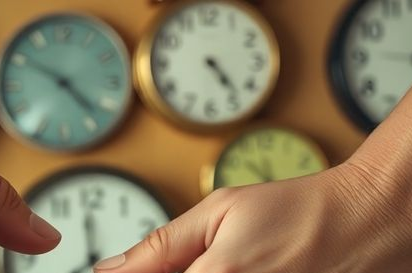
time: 4:23
